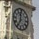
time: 11:35
